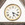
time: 5:18
